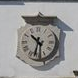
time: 10:32
